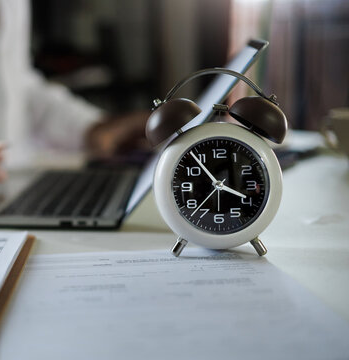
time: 3:53
